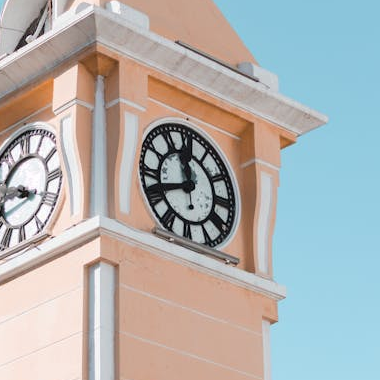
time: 11:41
